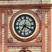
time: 7:20
